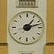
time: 1:12
